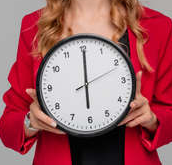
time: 6:00
